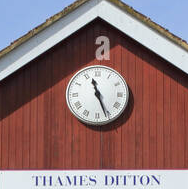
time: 11:26
